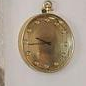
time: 9:44
